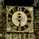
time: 12:28
